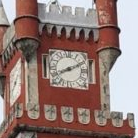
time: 8:10
